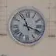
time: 11:18
